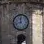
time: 11:42
